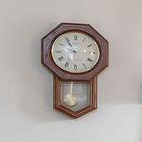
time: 10:55
